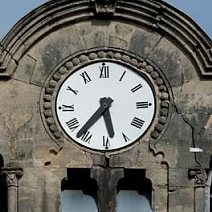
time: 5:36
